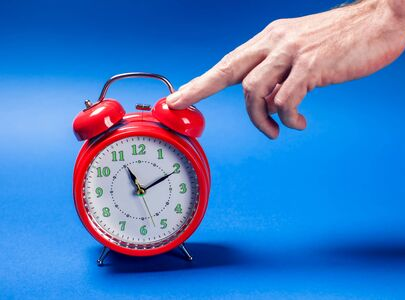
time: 11:10
